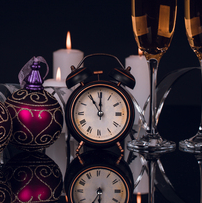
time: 11:00
